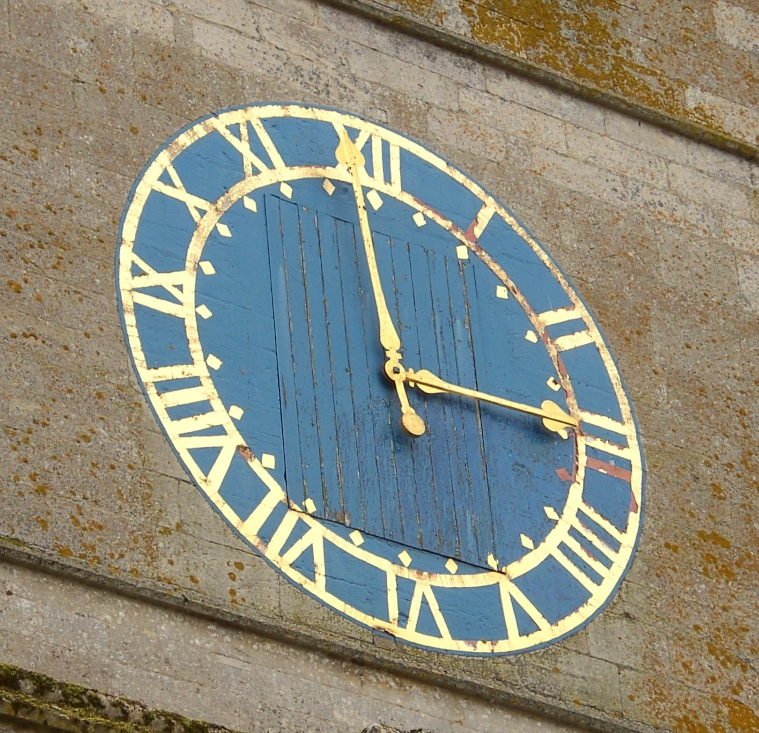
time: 2:59
